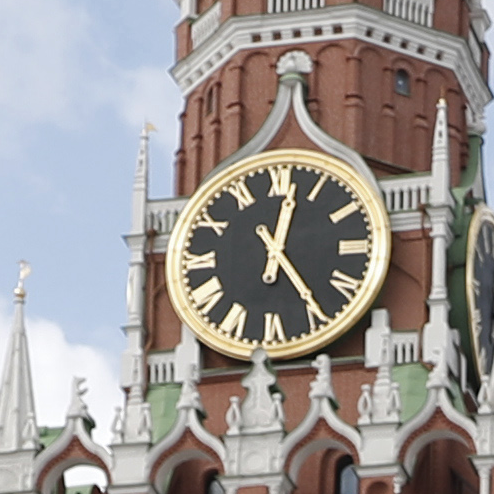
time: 12:24
